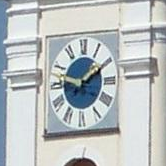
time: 1:47
